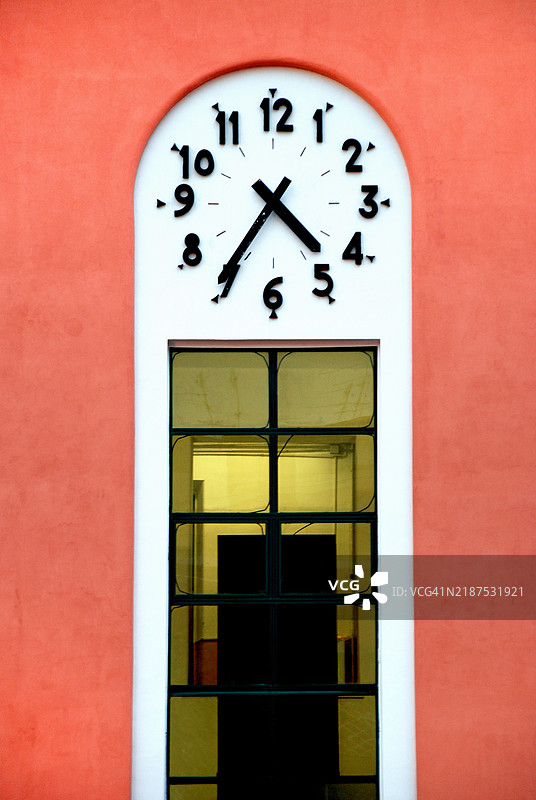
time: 4:35
